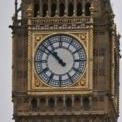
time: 10:51
